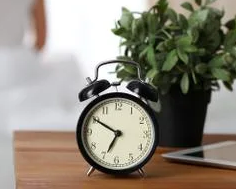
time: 6:50
